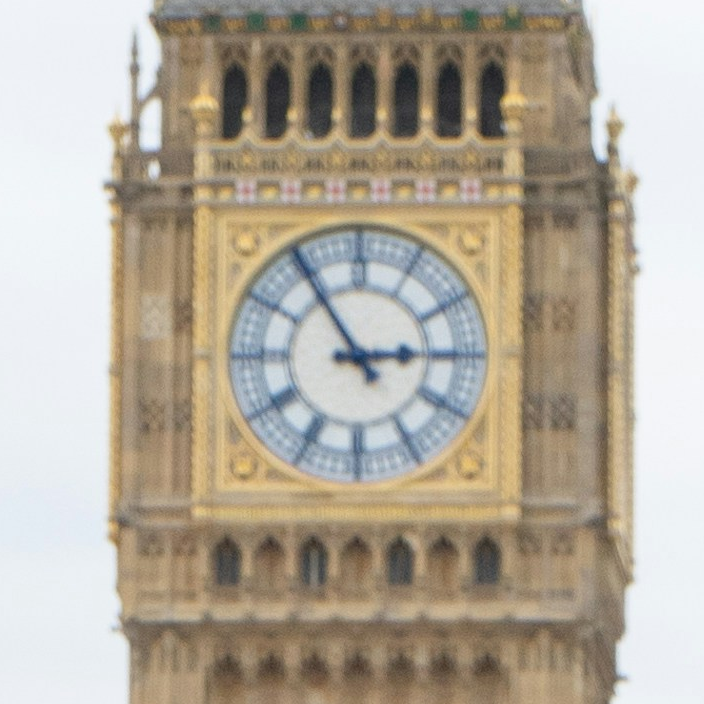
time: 2:54
